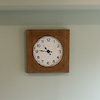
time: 10:46
